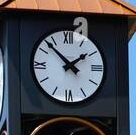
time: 1:52
